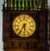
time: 5:35
